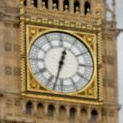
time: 12:32
